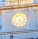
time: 6:23
